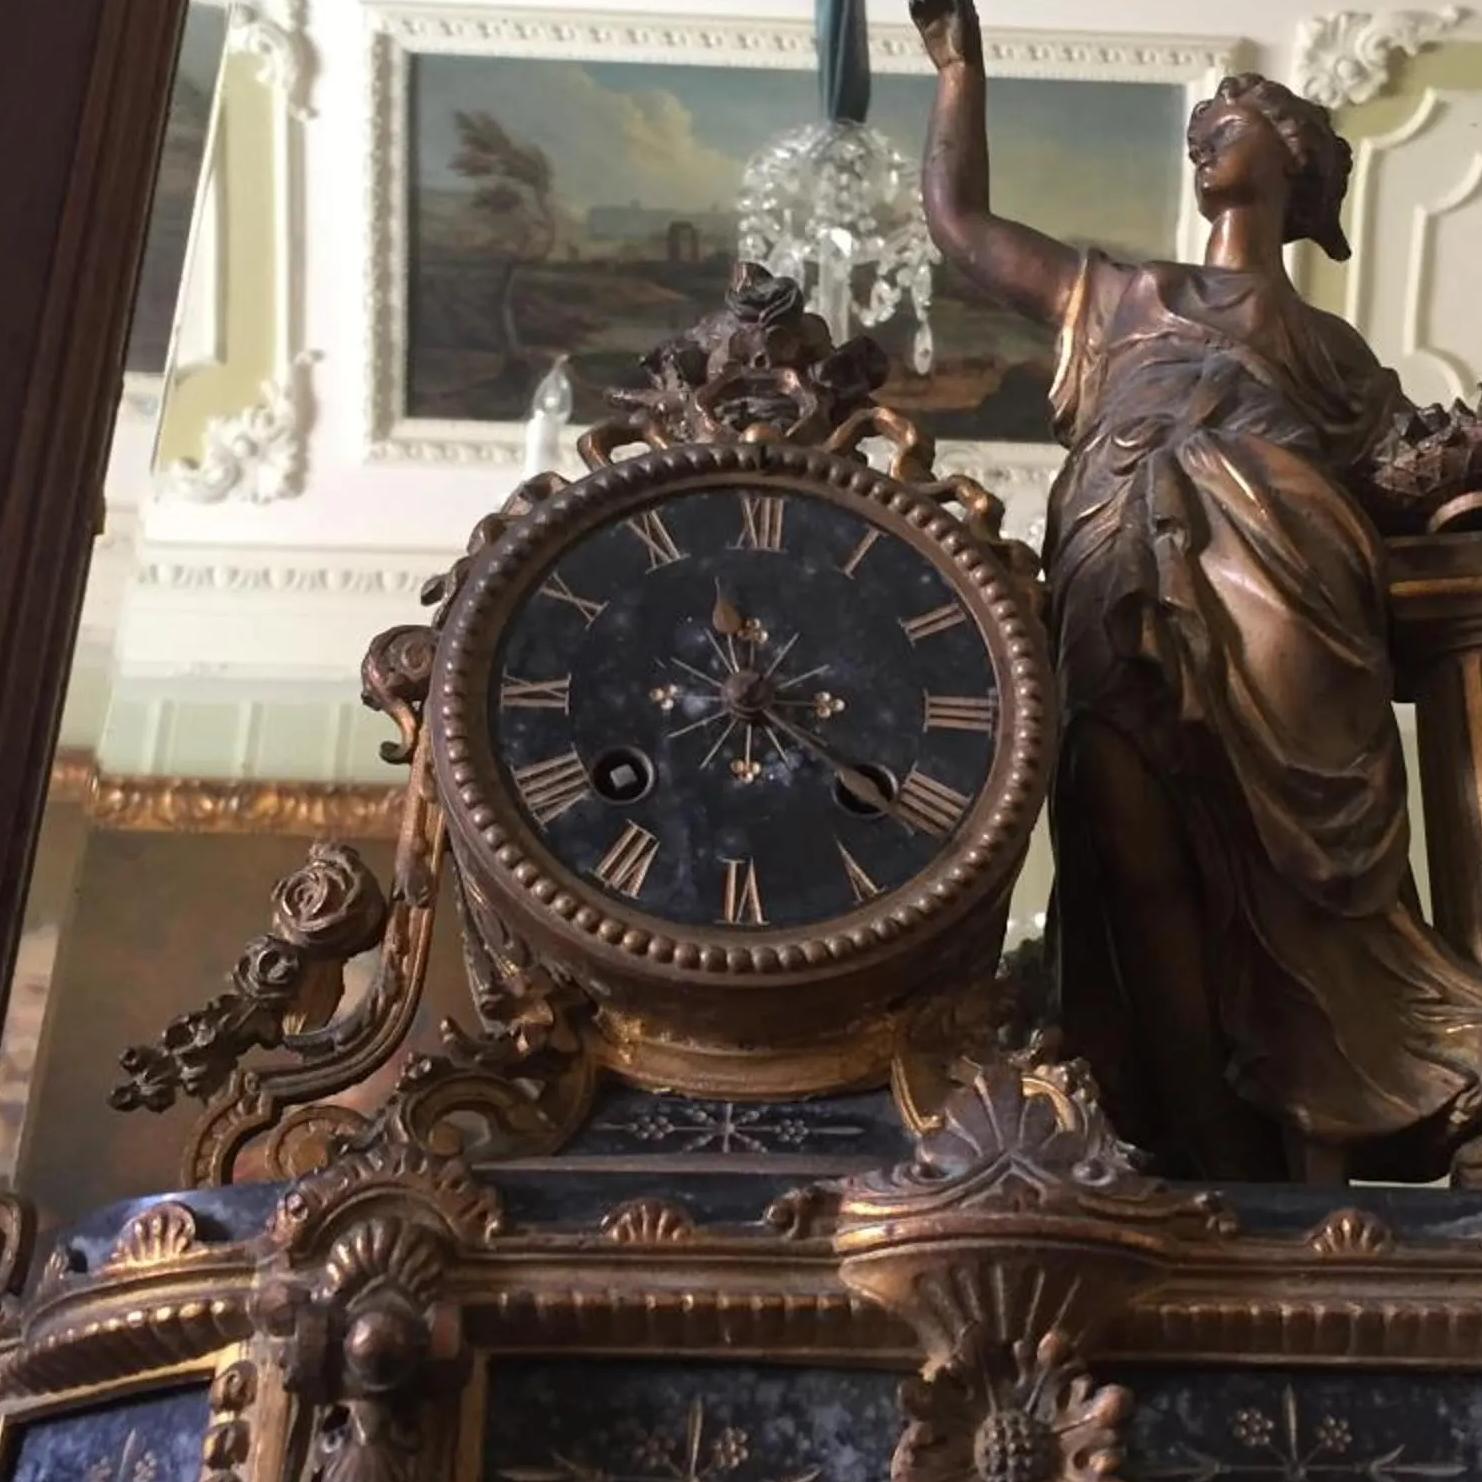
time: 11:21
